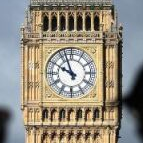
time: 9:56
